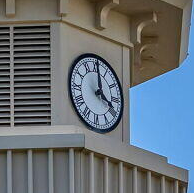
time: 4:00
